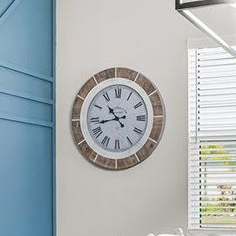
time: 10:43
